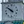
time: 5:51
